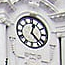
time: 12:23
